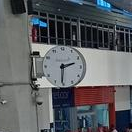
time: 2:30
